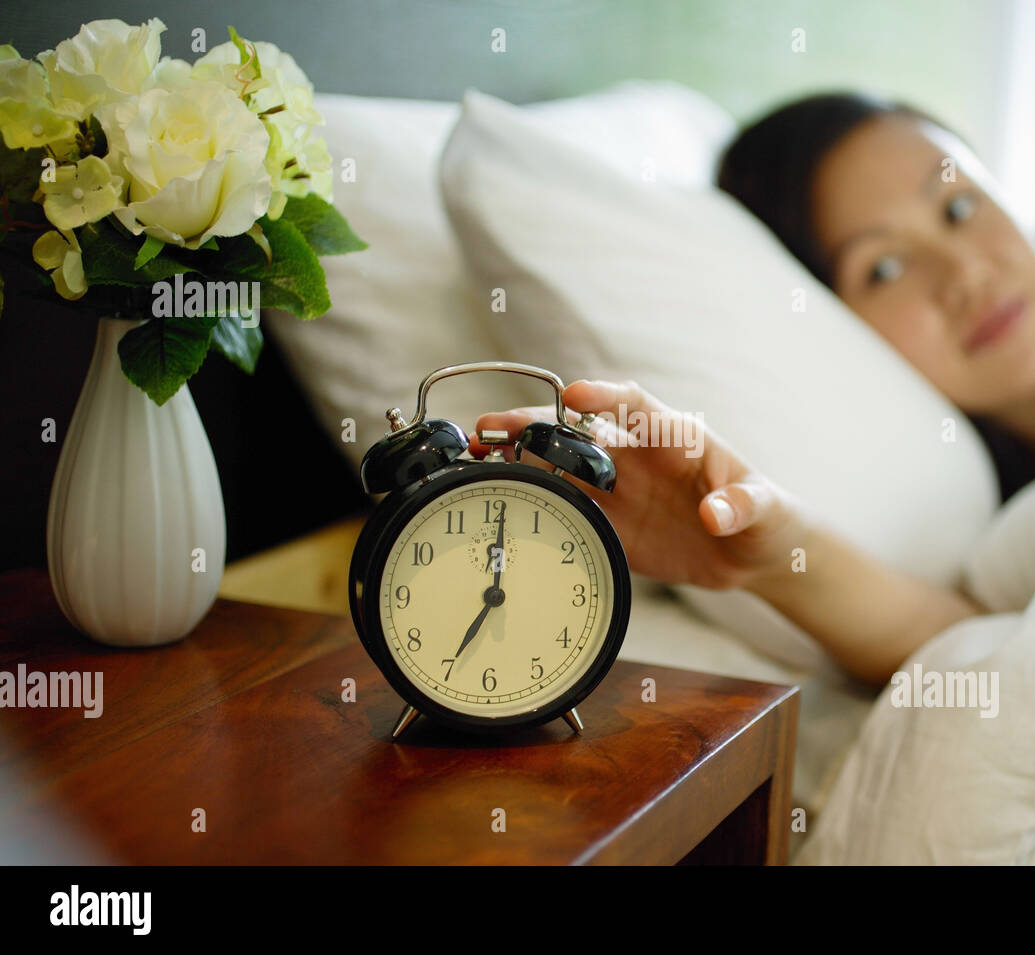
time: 7:01
